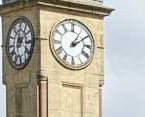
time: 1:09
